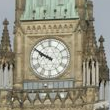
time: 9:50
